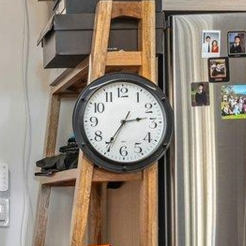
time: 2:35
